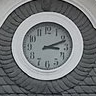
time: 3:11
